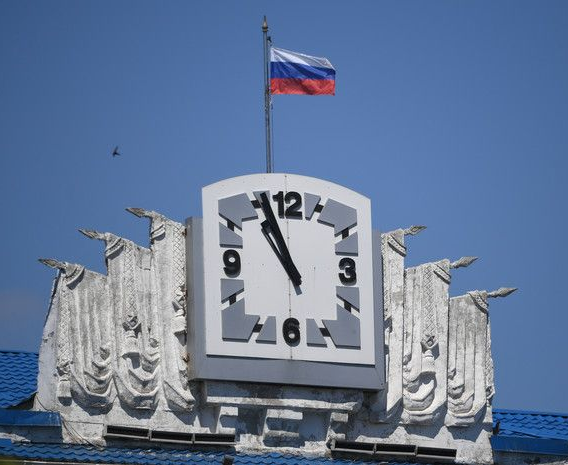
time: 10:56
